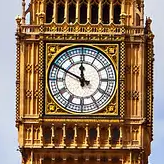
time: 11:49
